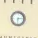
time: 6:13
